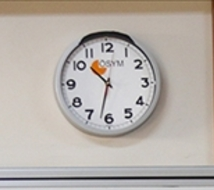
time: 10:32
